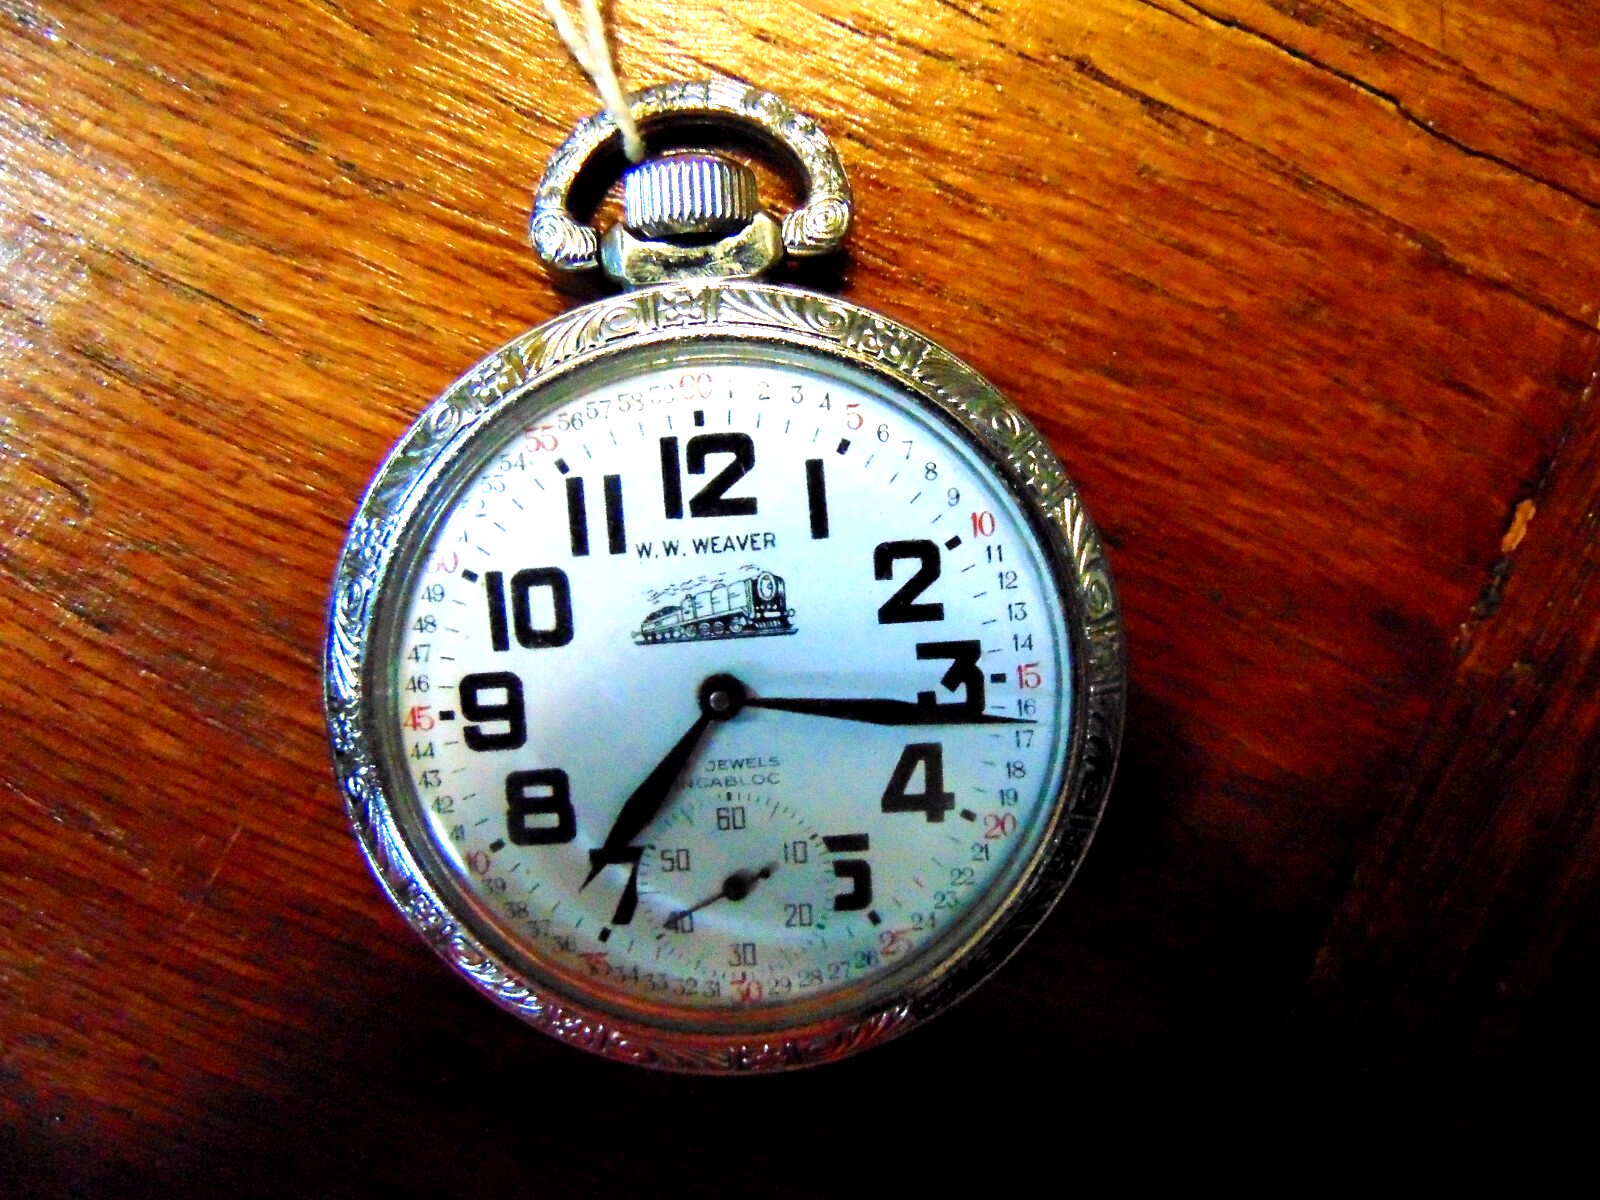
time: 7:16
